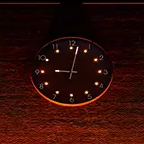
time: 9:01
